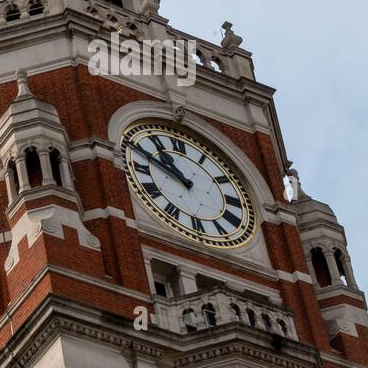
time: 10:48
